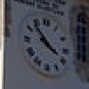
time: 3:52
